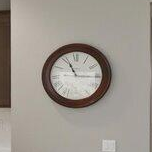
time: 11:15
